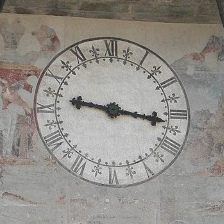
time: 9:16
